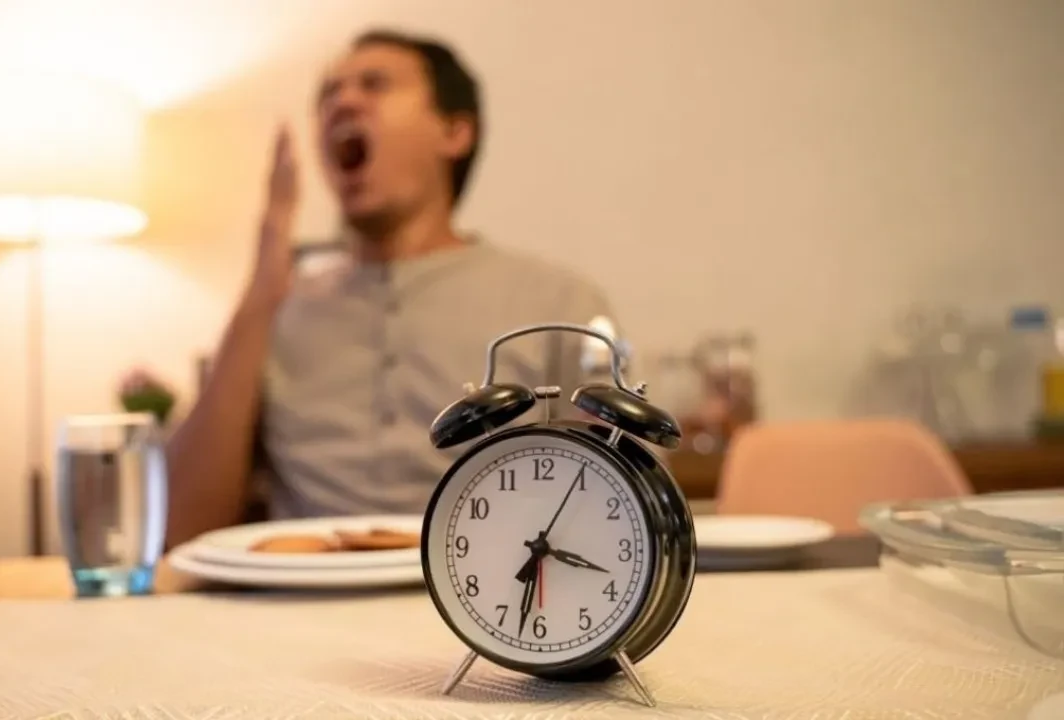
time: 3:32
